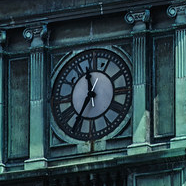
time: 11:34
